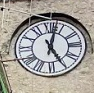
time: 5:02
